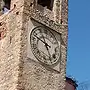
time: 4:48
